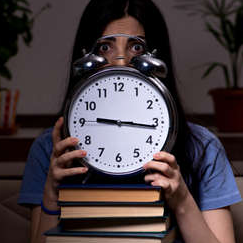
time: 9:16
